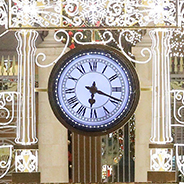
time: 6:18
